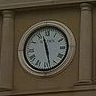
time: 11:28
